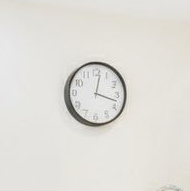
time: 12:17
